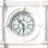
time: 5:52
